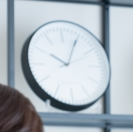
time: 10:04
